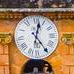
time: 12:24
